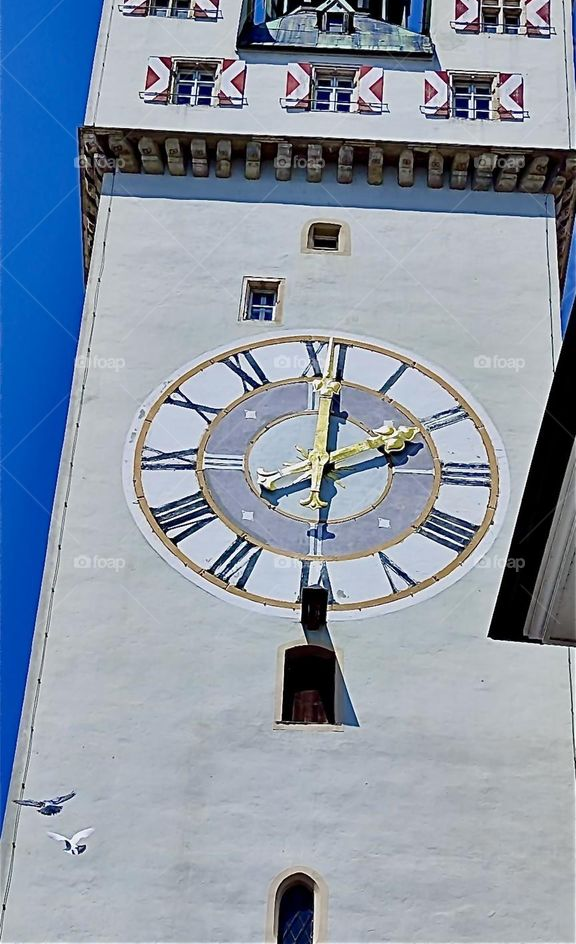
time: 2:01
